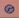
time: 7:12
